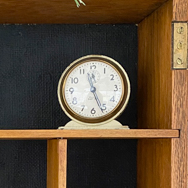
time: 11:26
